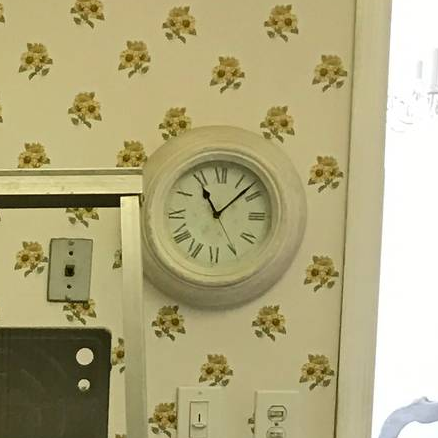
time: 11:07
